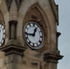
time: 12:43
